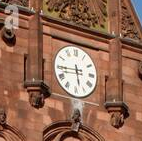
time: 5:44
